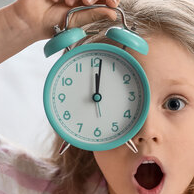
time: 12:01
